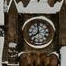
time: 7:59
